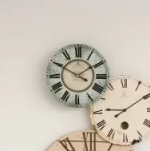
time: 1:49
